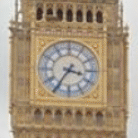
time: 3:35
